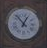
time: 12:52
